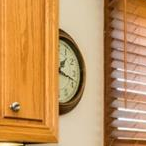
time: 1:18
